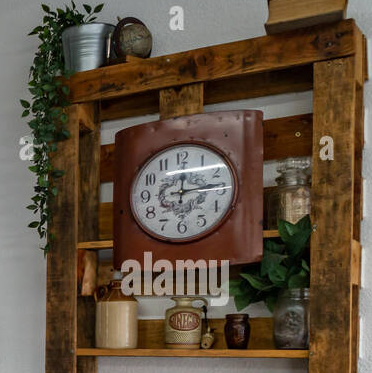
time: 12:14
